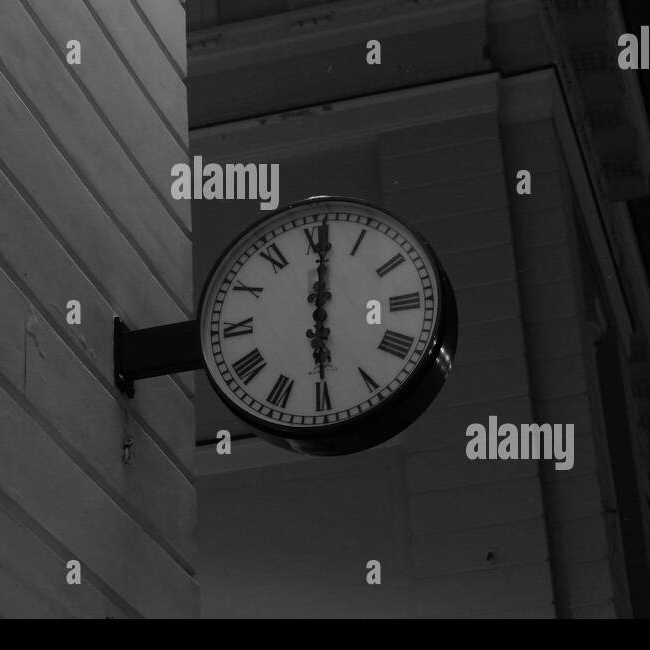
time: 6:00
